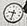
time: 9:33
